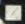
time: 7:07
